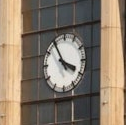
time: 3:54
